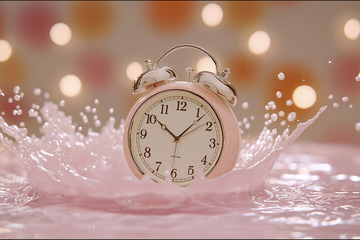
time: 10:07
